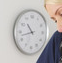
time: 10:42
